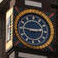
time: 2:45
